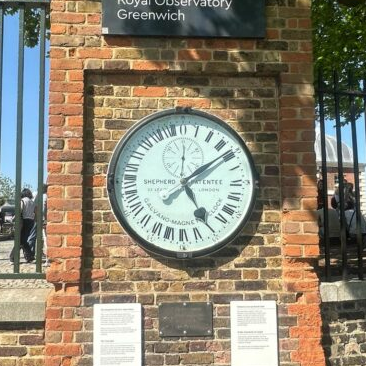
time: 5:08
